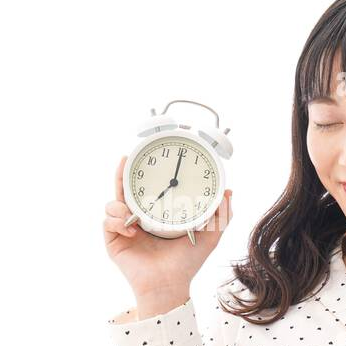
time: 7:00
